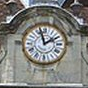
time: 1:57
